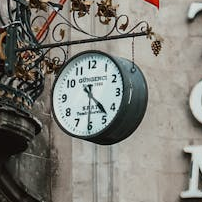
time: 4:30
